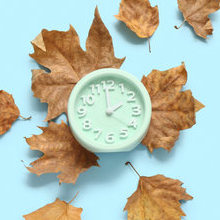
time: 1:59
